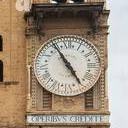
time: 4:54
